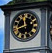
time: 11:42
